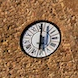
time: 6:00
